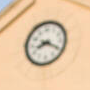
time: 8:19
